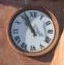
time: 10:56
